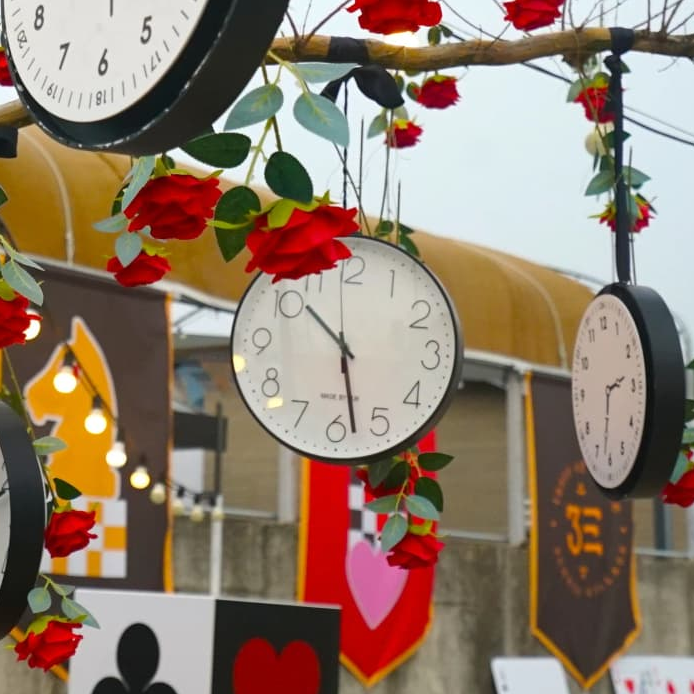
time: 10:28
